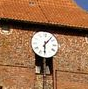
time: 6:06
